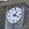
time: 1:18
